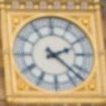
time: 2:22
